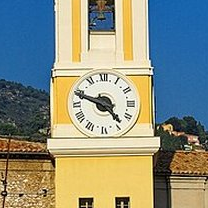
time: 4:48
